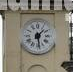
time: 1:28
